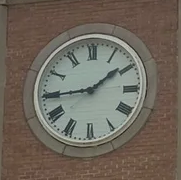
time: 1:44
